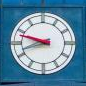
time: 9:42
